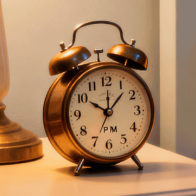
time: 10:07
